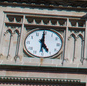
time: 4:59
